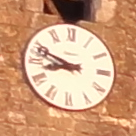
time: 8:48
